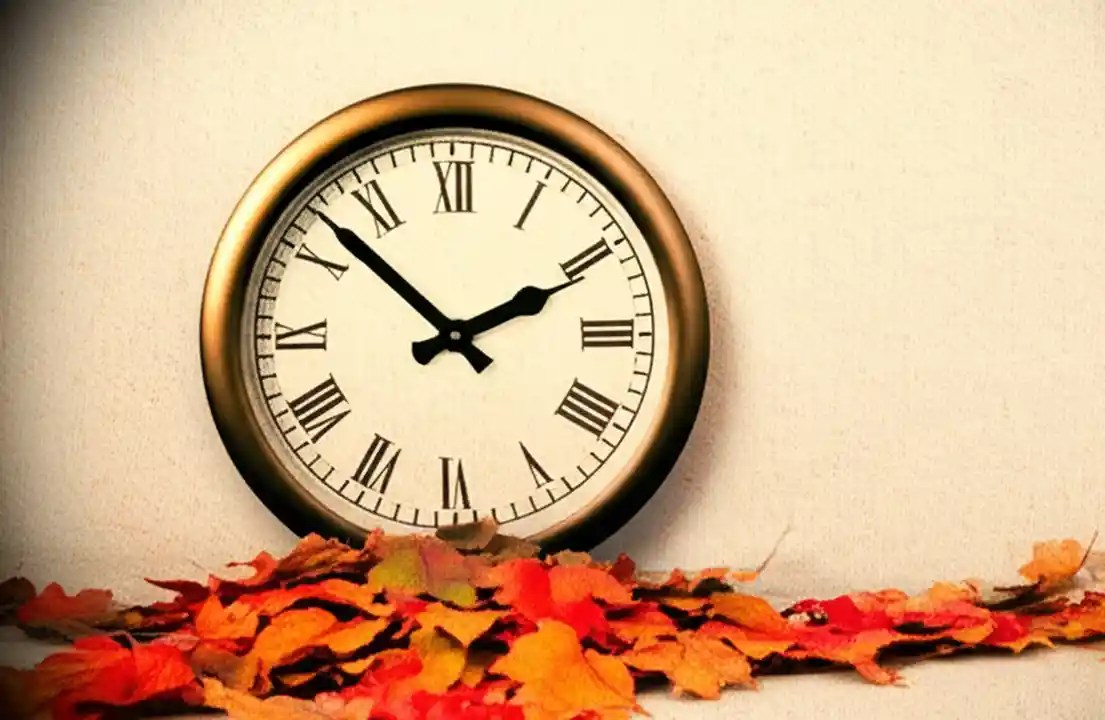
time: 1:52
